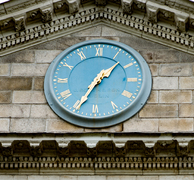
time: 1:34
